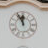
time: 11:55
